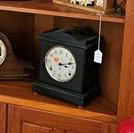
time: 3:12
